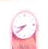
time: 8:39
